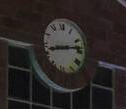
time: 8:13
